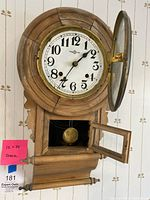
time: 1:35
